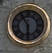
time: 5:55
